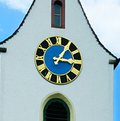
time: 3:05
